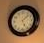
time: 5:07
